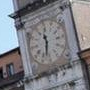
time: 11:32
